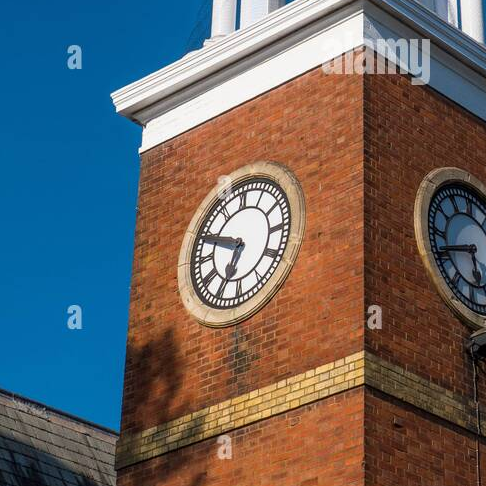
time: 6:48
